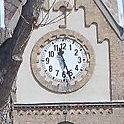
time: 11:26
